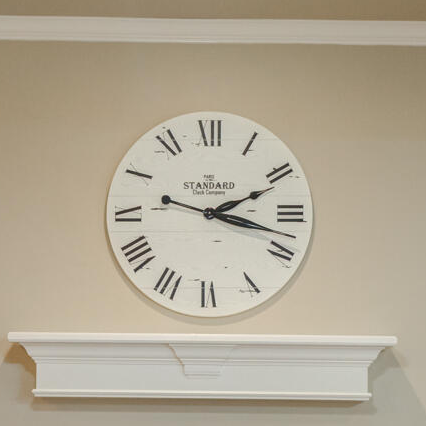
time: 2:17
